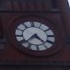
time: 4:38
